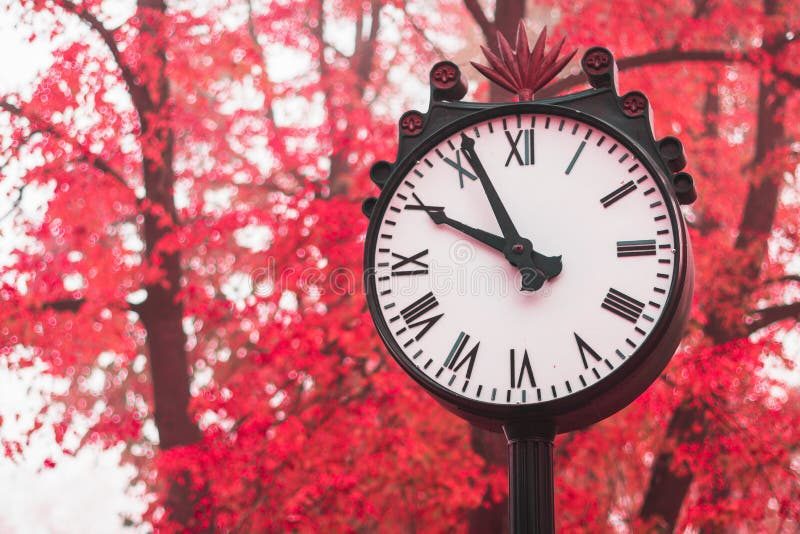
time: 9:55
